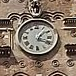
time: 1:18
